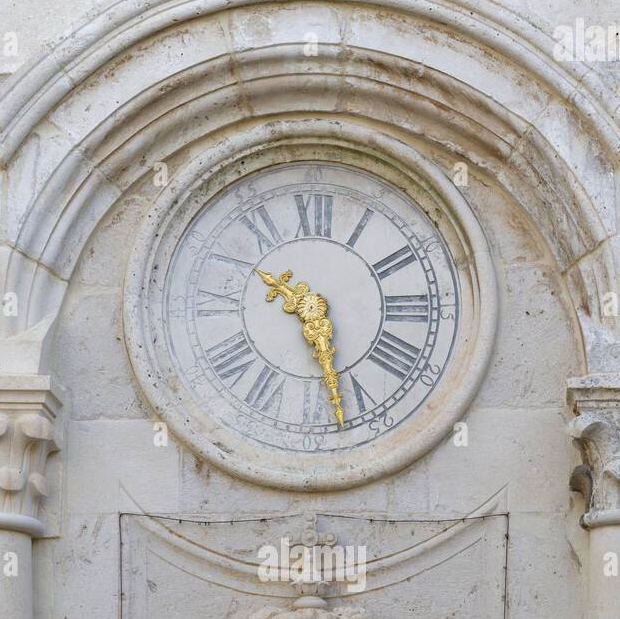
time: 10:27
